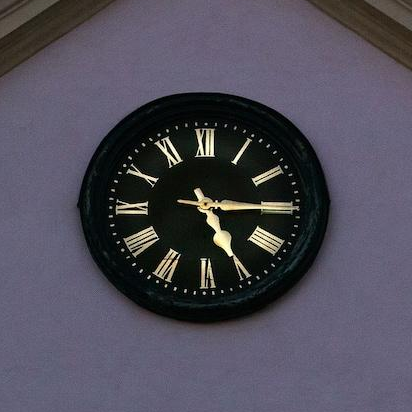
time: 5:14
